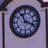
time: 11:18
